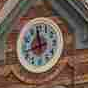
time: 11:42
